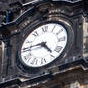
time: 4:45
